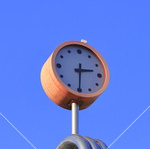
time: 2:30
